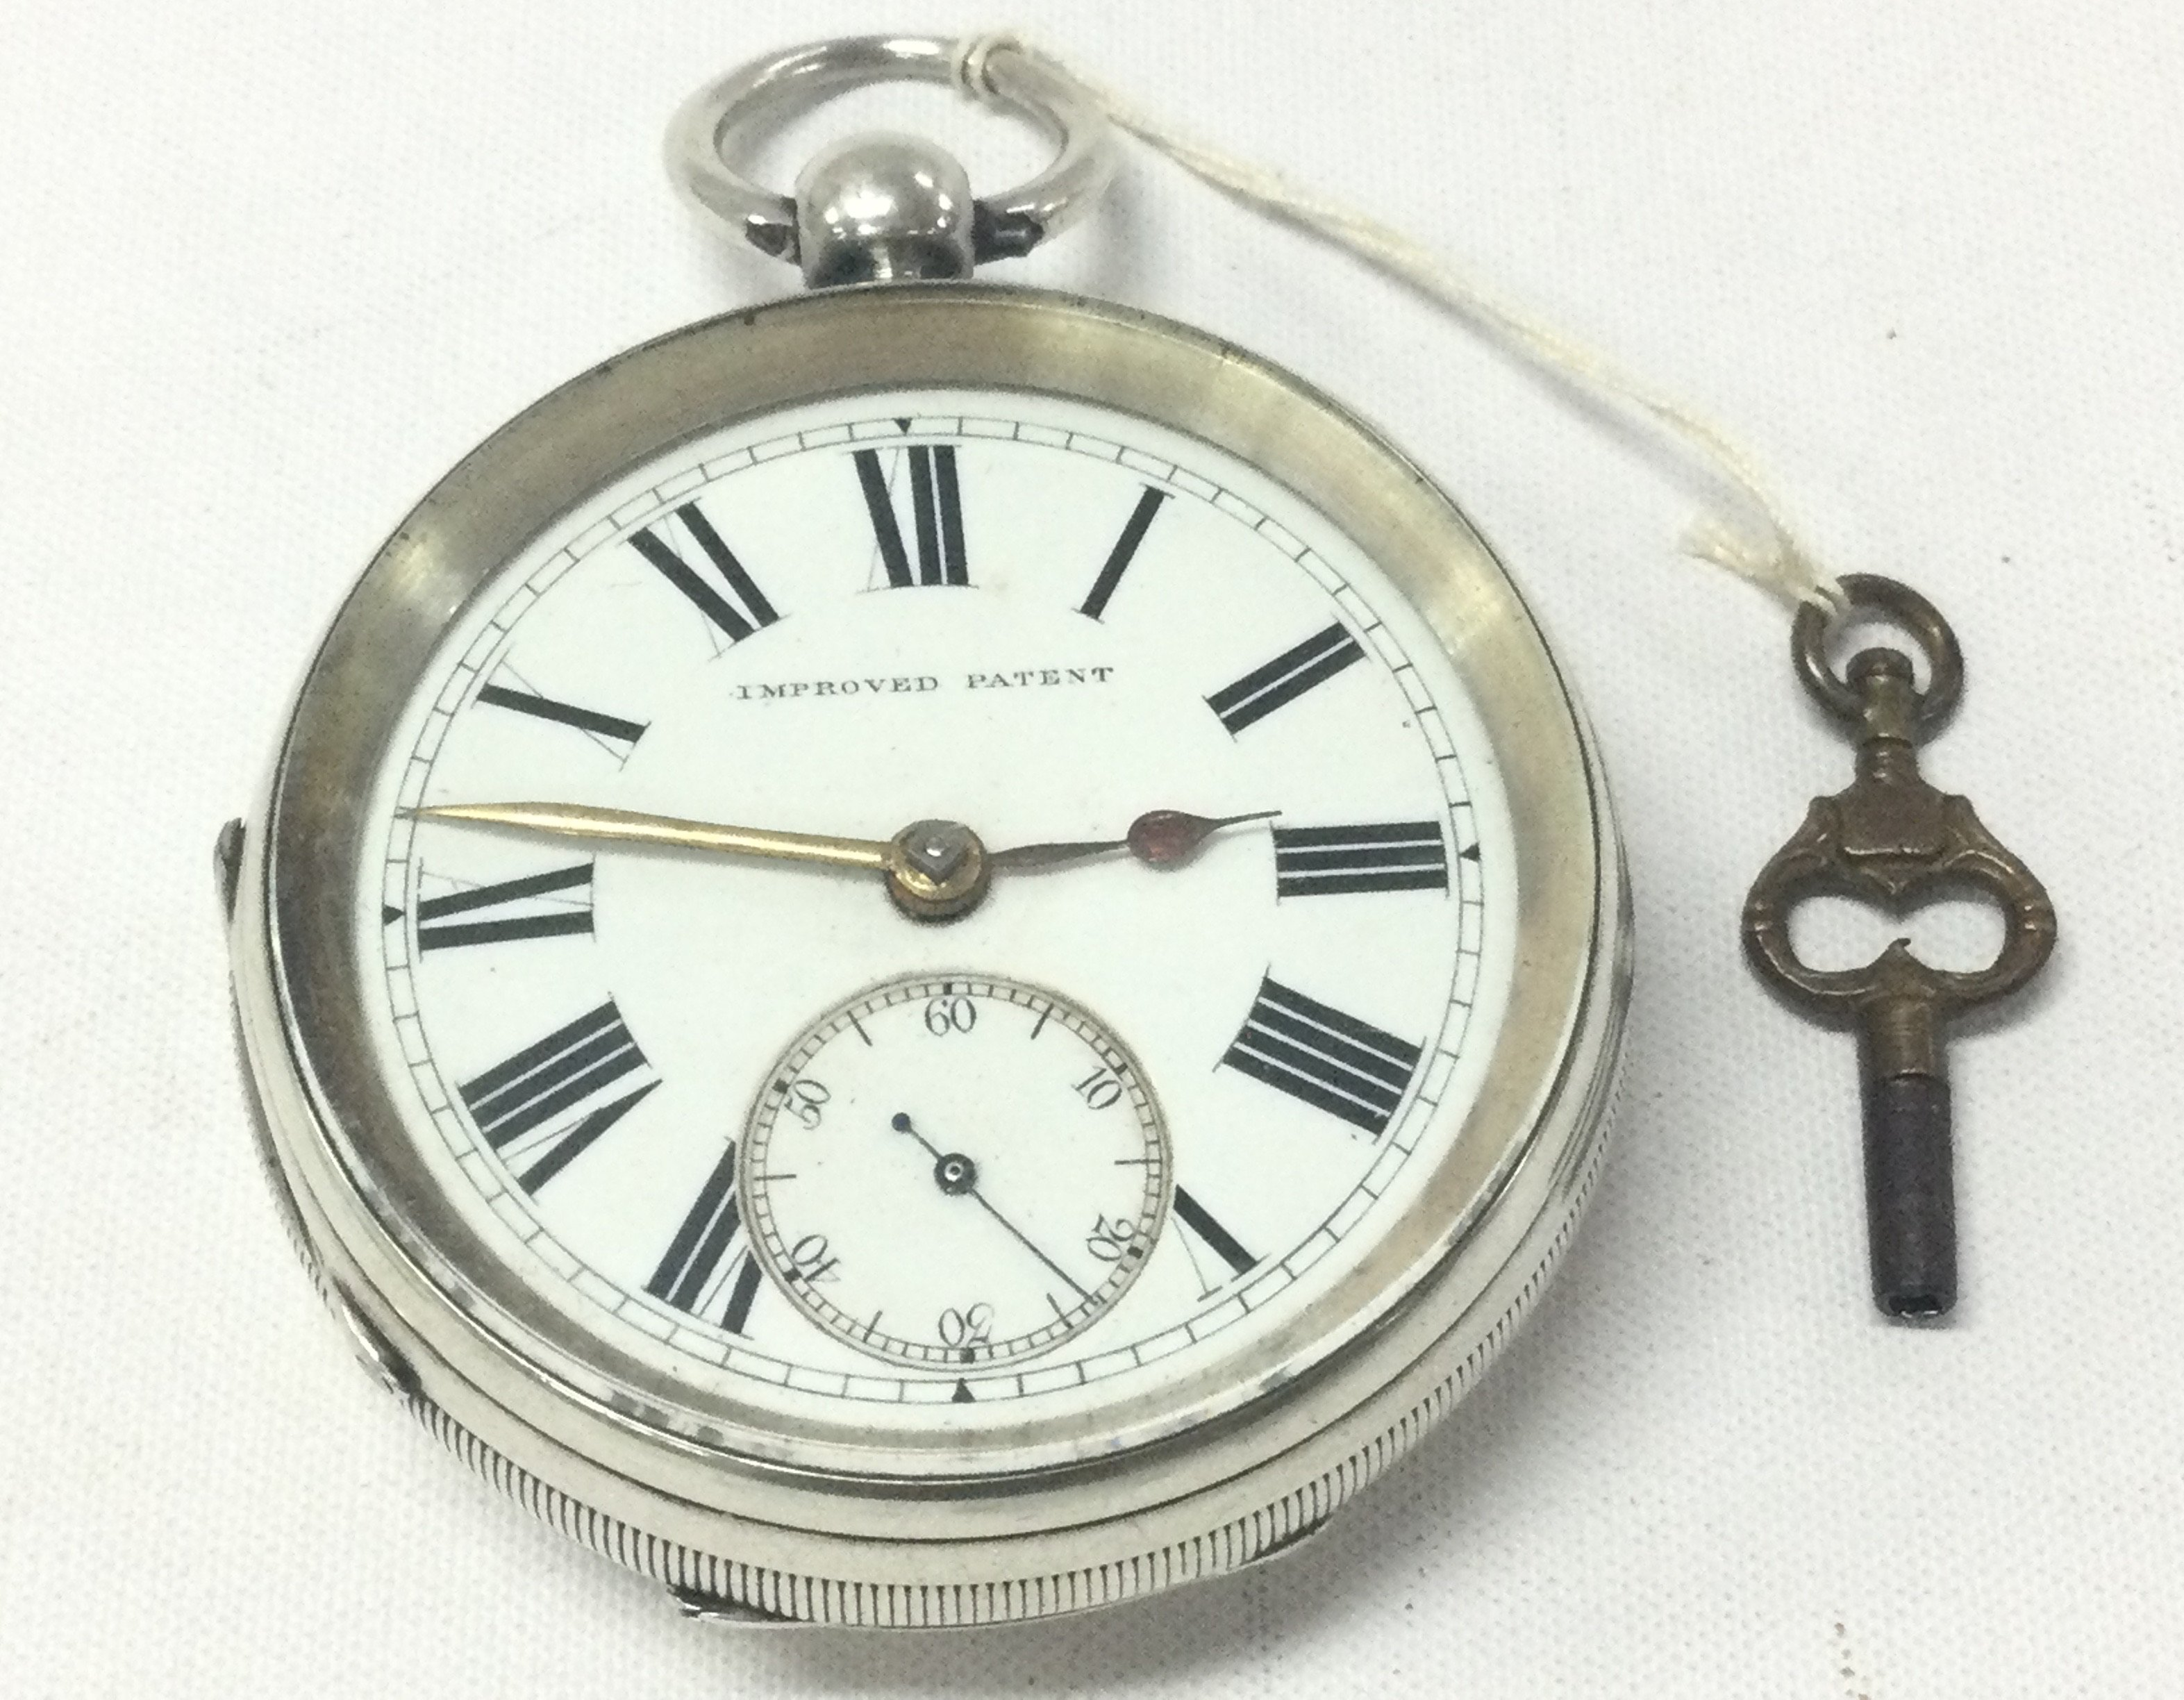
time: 2:46
